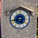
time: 4:42
